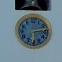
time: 6:13
